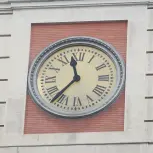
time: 11:36
